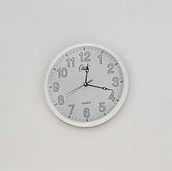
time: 12:17
